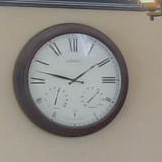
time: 1:47
